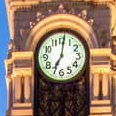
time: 7:01
